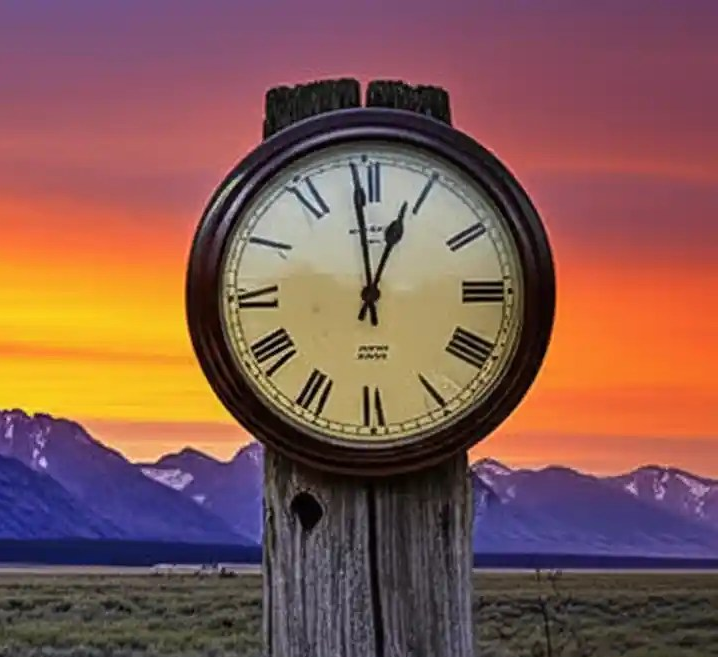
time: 12:58
